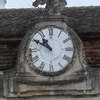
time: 10:50
